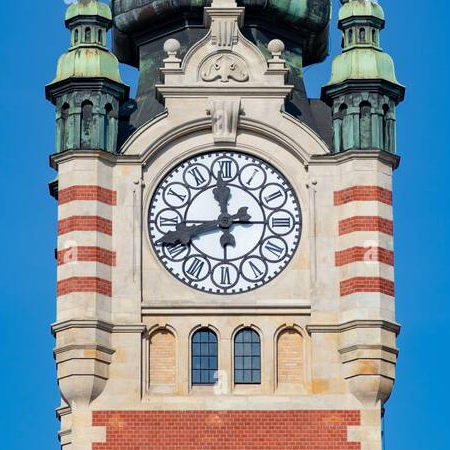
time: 11:43
